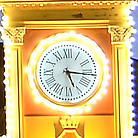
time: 5:15
